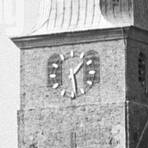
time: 1:28
